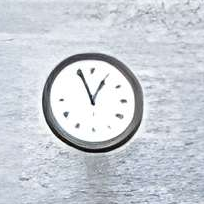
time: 12:56
